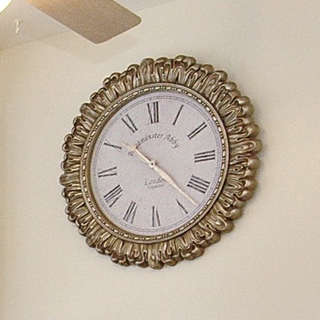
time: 10:22
